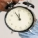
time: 11:55
